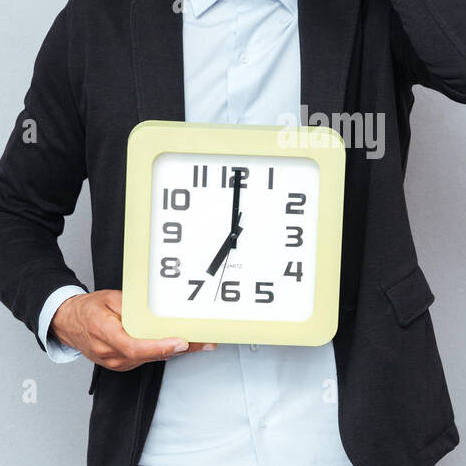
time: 7:00
